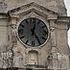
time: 12:24
